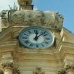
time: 12:07
